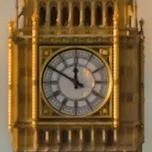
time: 11:50
